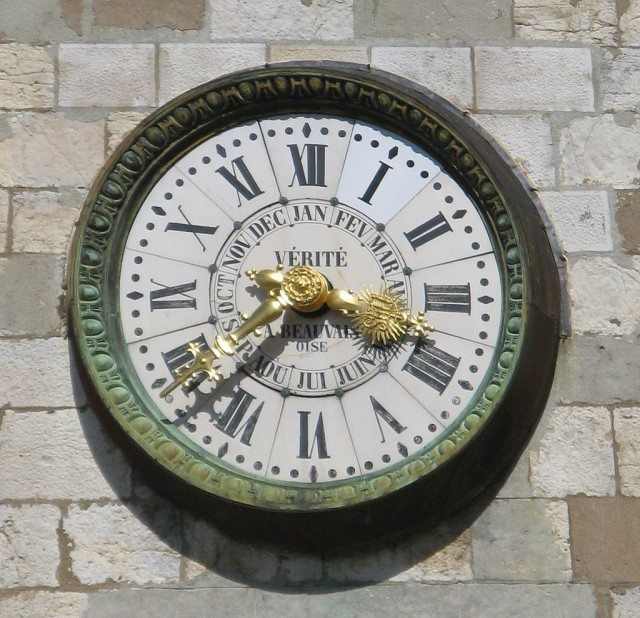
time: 3:37
